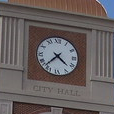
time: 4:37
